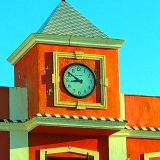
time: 8:51
